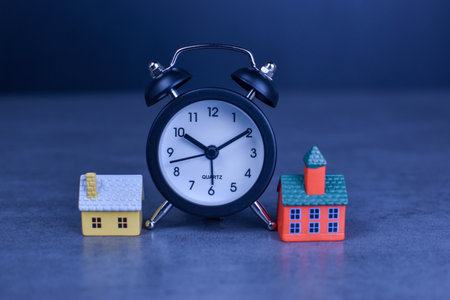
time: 10:10
